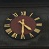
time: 4:30
